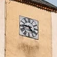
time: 4:45
